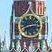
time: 8:12
